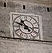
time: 10:48
